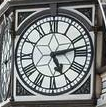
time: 5:12
